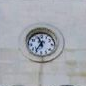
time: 11:35
